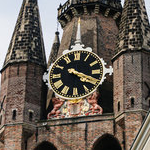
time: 4:19
